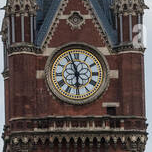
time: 5:57
